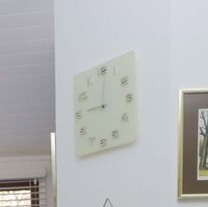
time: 9:01
